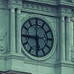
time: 5:44
